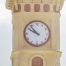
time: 9:53
